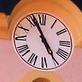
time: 4:56
